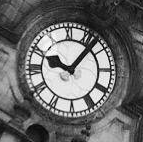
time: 10:07
